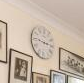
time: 2:46
